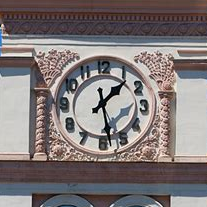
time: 1:28
